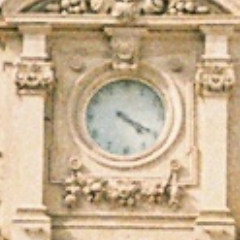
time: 4:19
